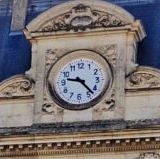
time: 9:22
